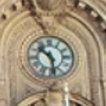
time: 10:28
